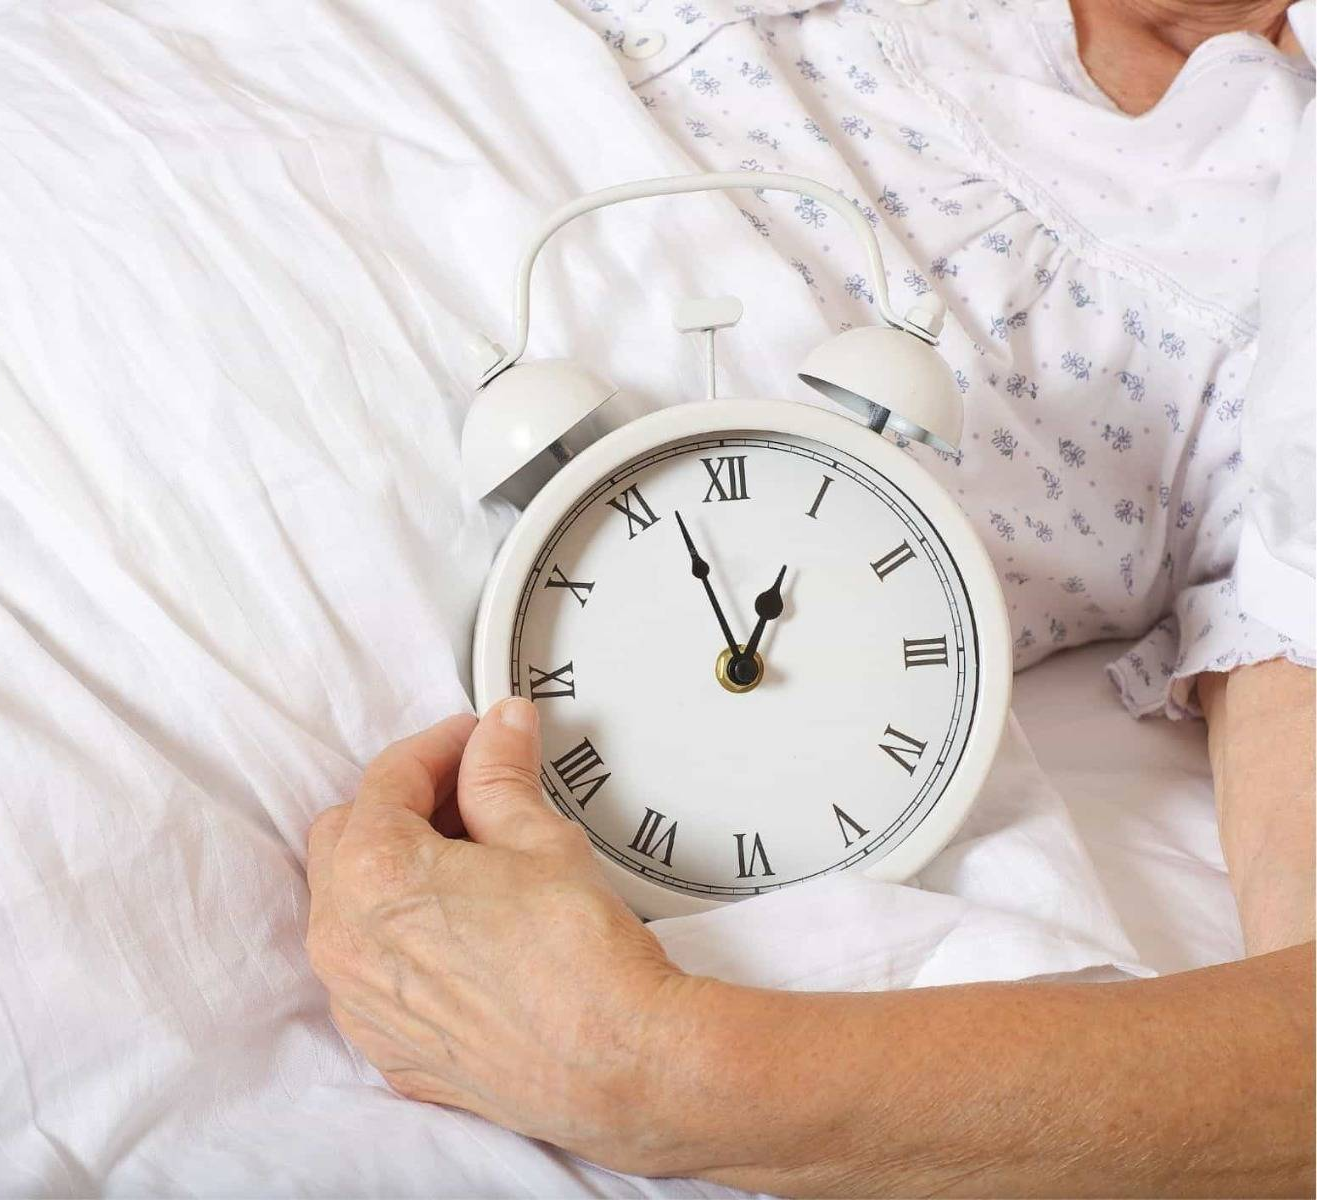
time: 12:57
